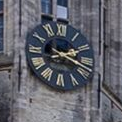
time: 2:18
